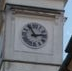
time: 11:13
